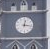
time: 12:16
